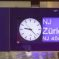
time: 9:22
